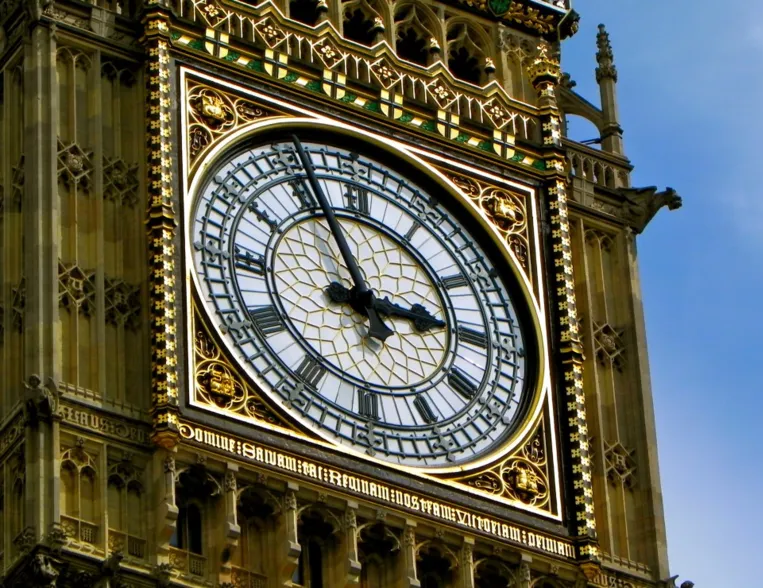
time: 2:56
